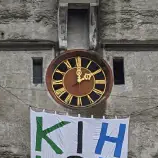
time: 2:00
